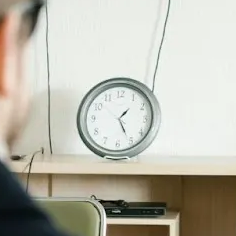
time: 1:25
